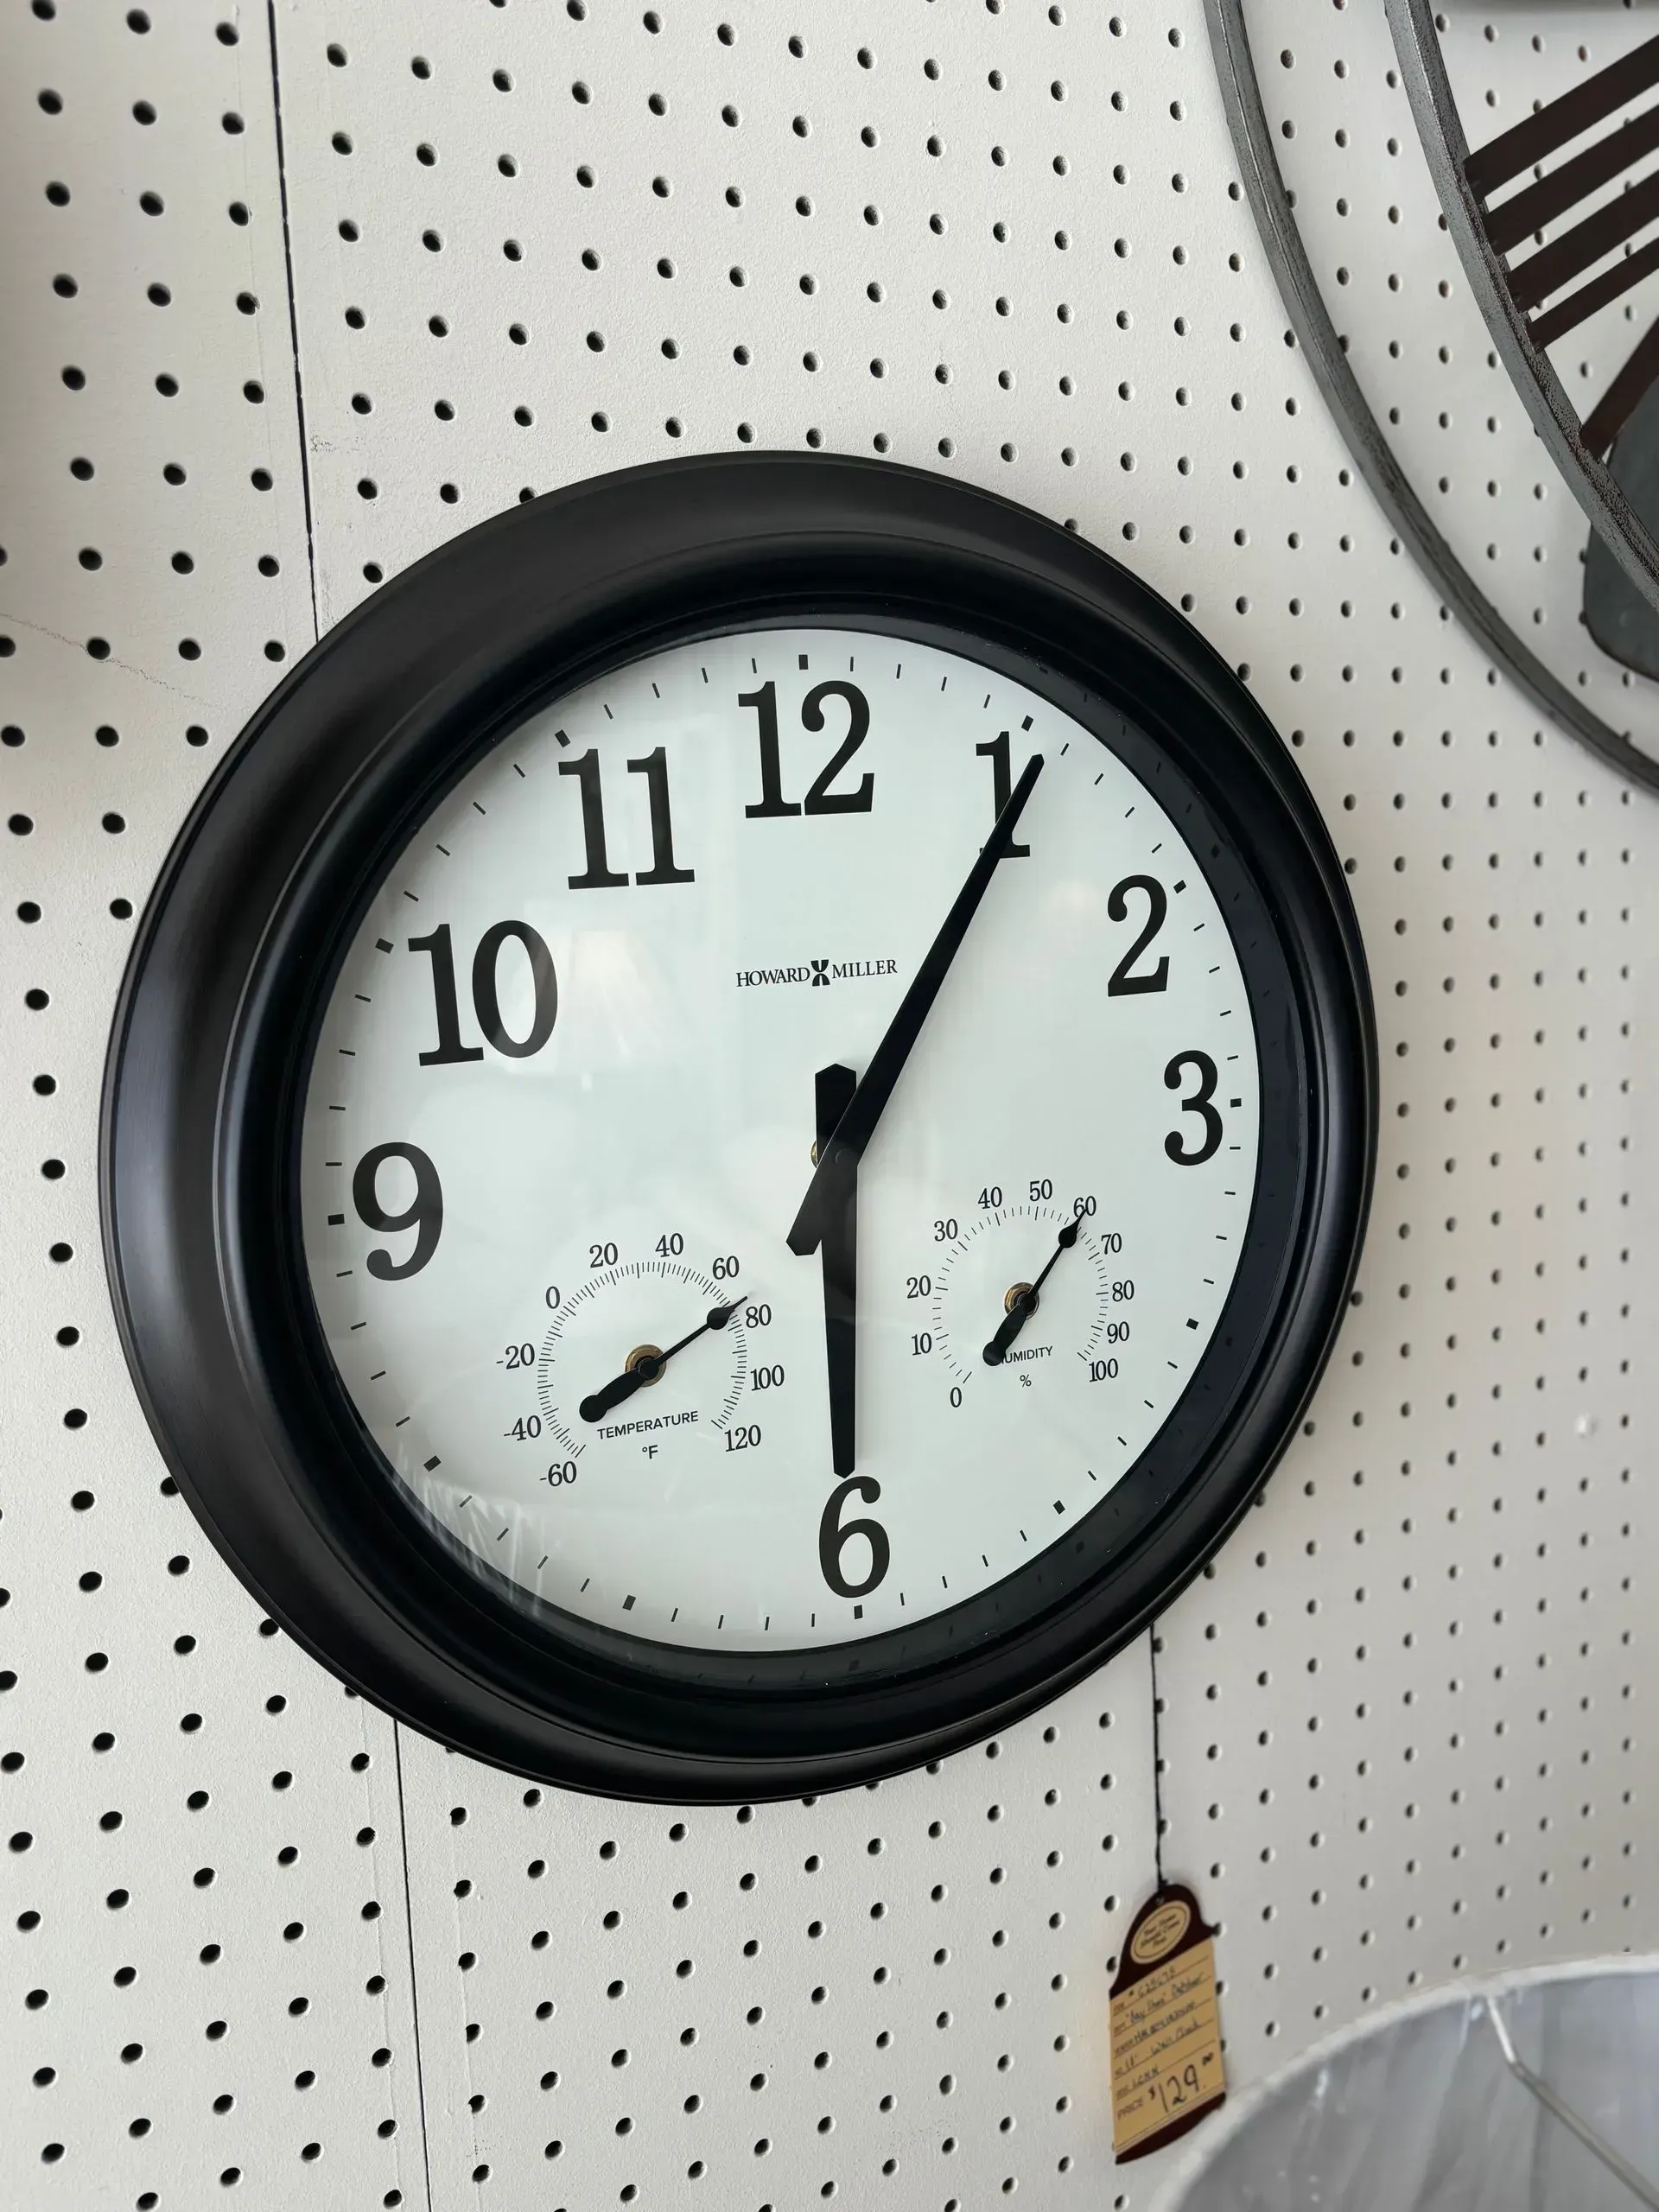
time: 6:05
